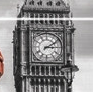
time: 3:09
